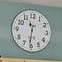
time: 11:31
